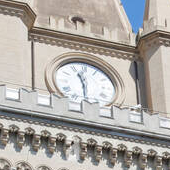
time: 11:29
